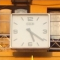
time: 5:21
